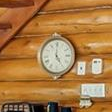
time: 5:00
